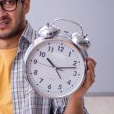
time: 10:12
